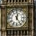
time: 12:24
